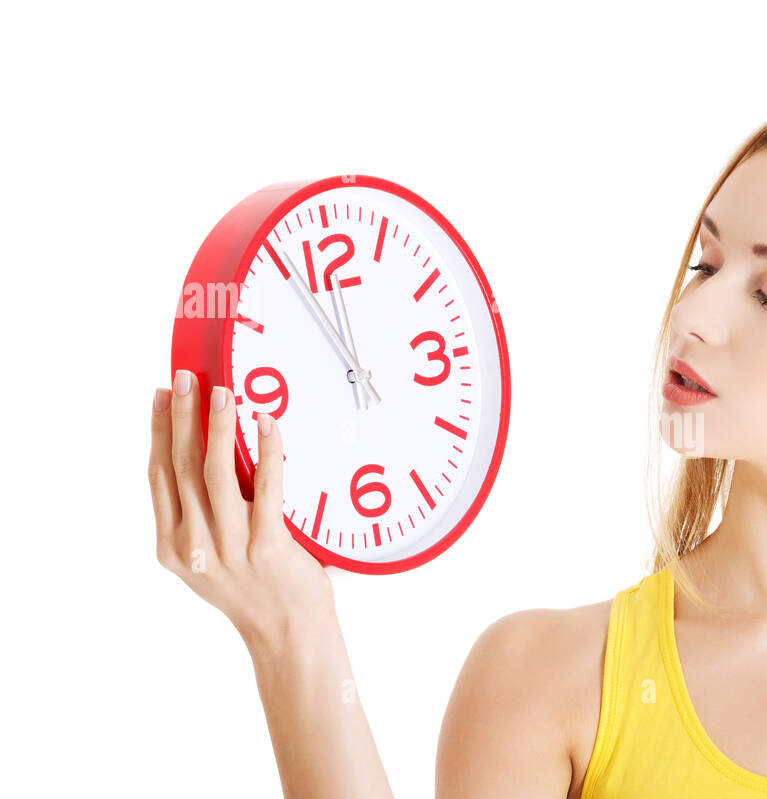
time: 11:55
